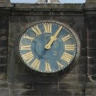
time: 1:05
